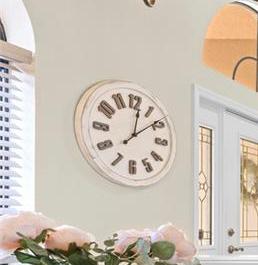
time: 12:08
